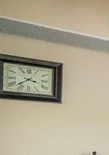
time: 3:37
